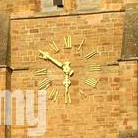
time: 5:50
